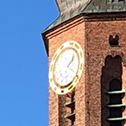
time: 1:20
